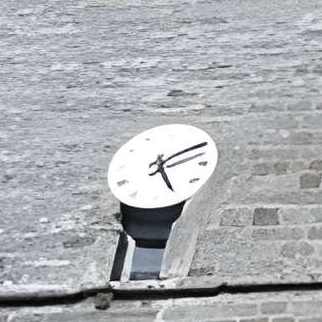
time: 5:09
